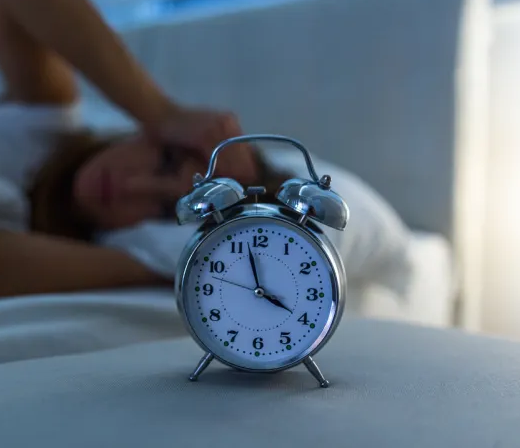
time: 3:57
